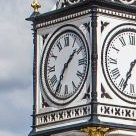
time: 1:35
